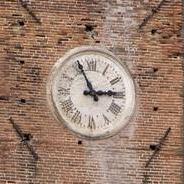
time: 2:55
